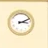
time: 3:11
